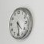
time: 4:29
